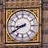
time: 8:40
